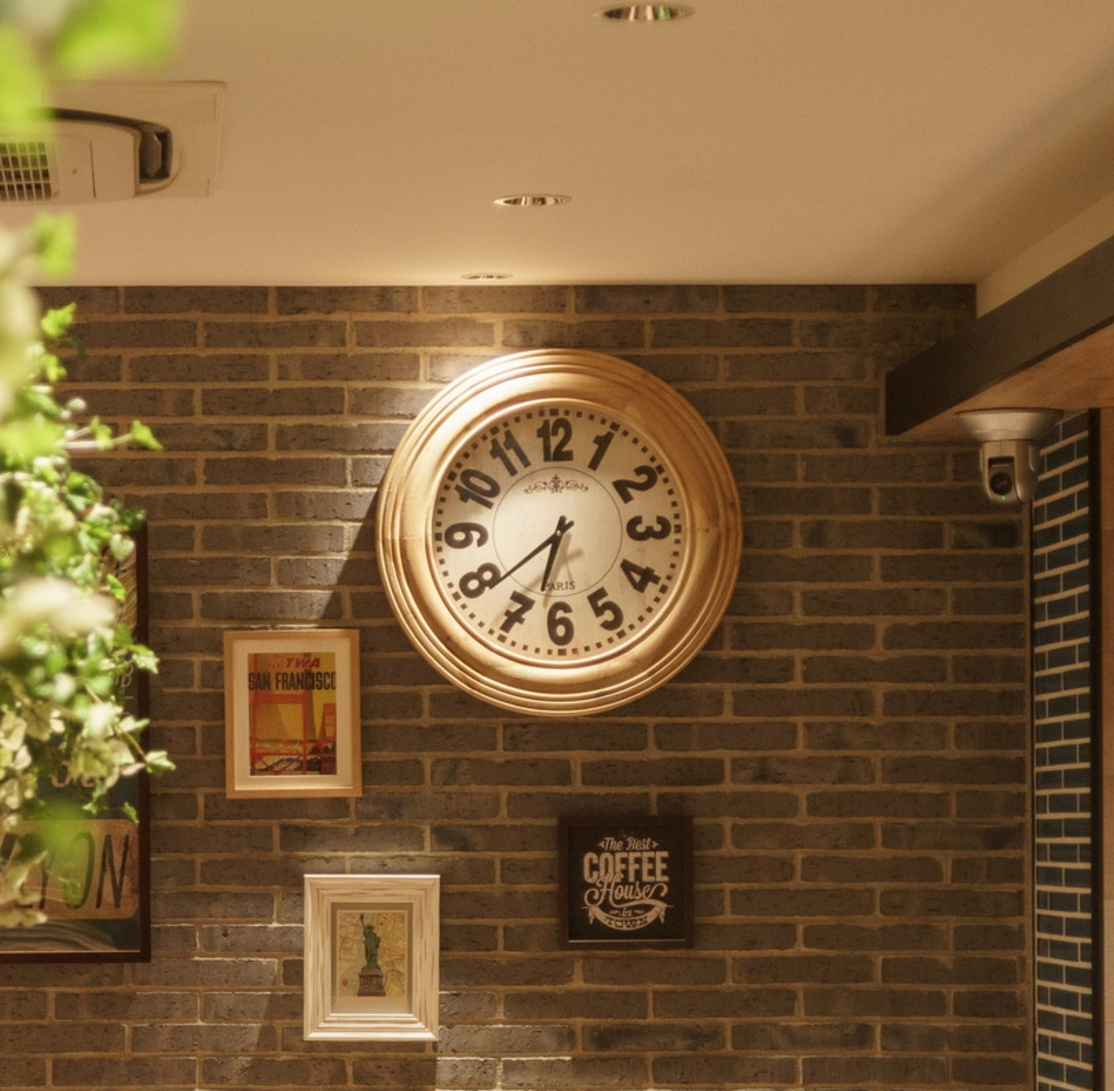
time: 6:38
